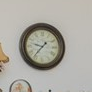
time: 9:36
